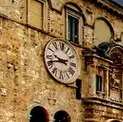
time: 9:42
